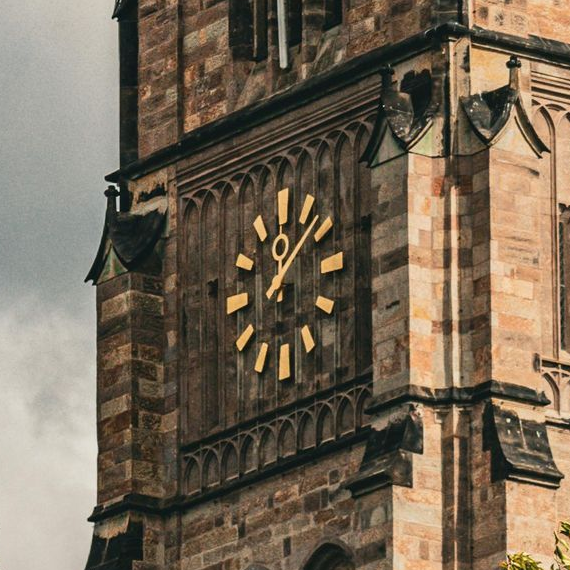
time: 12:07
